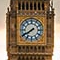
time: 7:39
